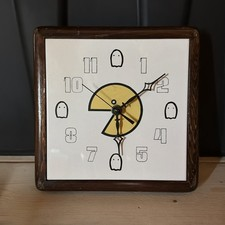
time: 6:09
